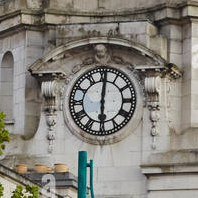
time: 6:00
